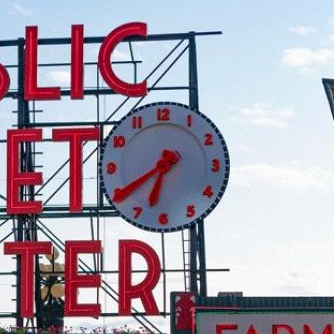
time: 6:40
